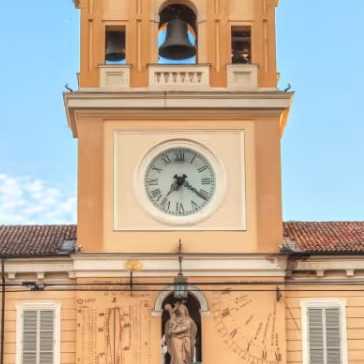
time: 7:21
